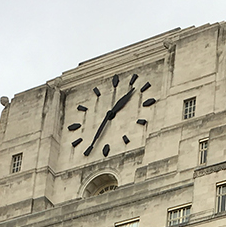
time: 1:34
